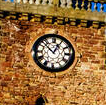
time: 12:52
